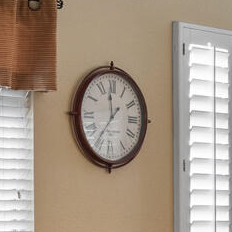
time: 11:35
